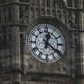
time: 12:21
